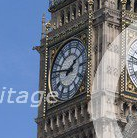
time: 1:46
